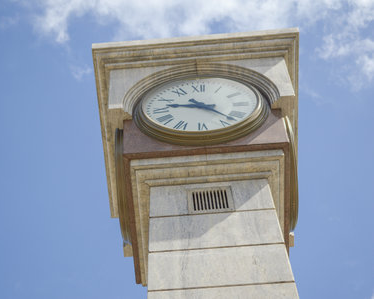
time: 9:22
